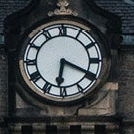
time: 6:19
